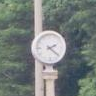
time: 2:21
